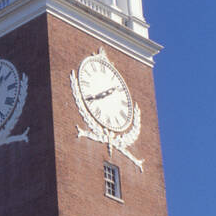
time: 1:39
